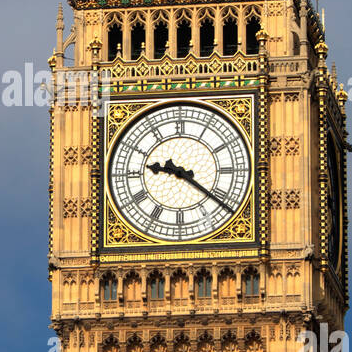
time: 9:21
